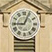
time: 9:03
